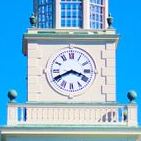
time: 3:40
